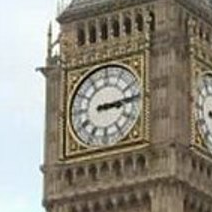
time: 3:13
